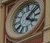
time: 4:07
